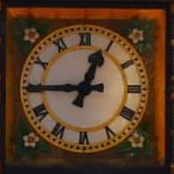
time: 12:45
